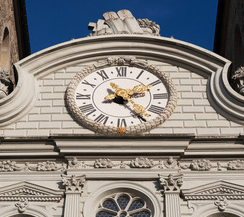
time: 2:23
